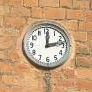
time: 12:12
